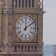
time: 12:09
